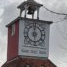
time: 5:59
